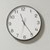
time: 11:24
